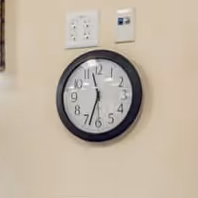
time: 11:33
